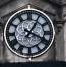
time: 1:18
